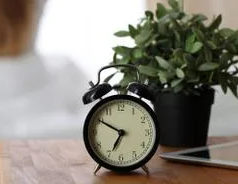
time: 6:50
